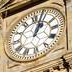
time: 1:03
